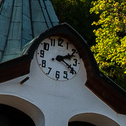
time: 2:19
